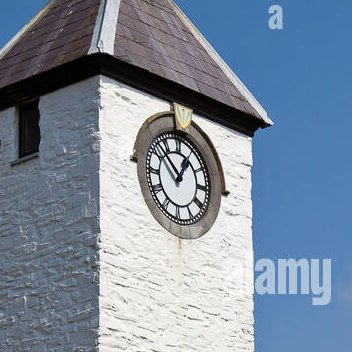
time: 12:52
